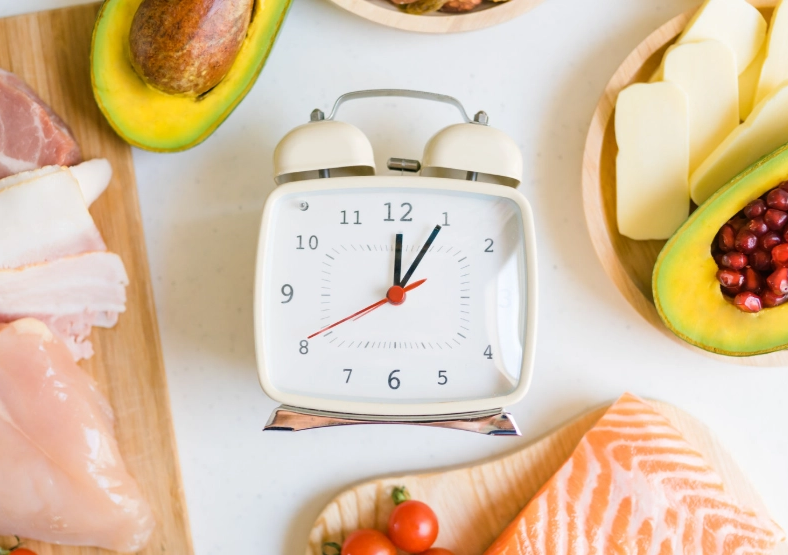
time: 12:05
